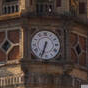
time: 6:33
